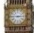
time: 2:45
